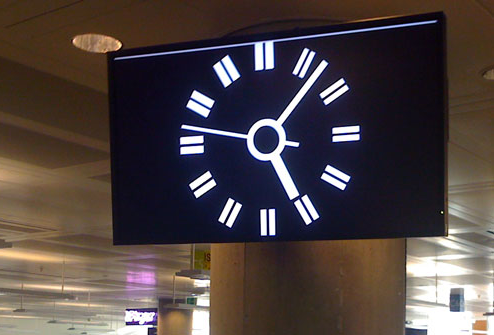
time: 5:06
